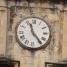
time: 11:23
